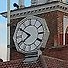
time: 7:50
